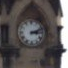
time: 3:12
